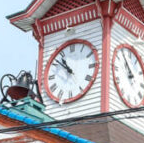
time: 10:51
